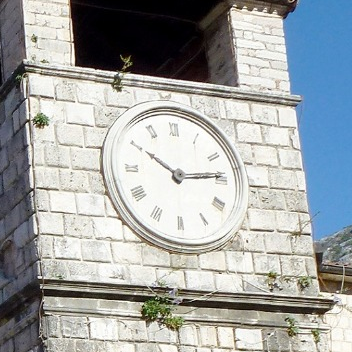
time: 10:13
